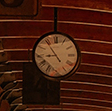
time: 8:54
